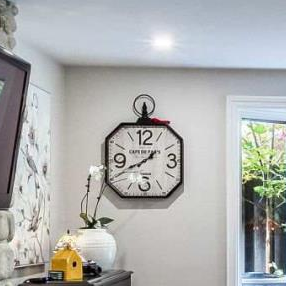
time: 1:40
